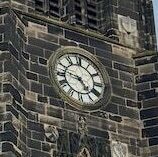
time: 4:47
